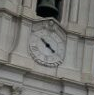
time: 10:21
